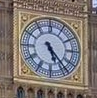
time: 5:23
